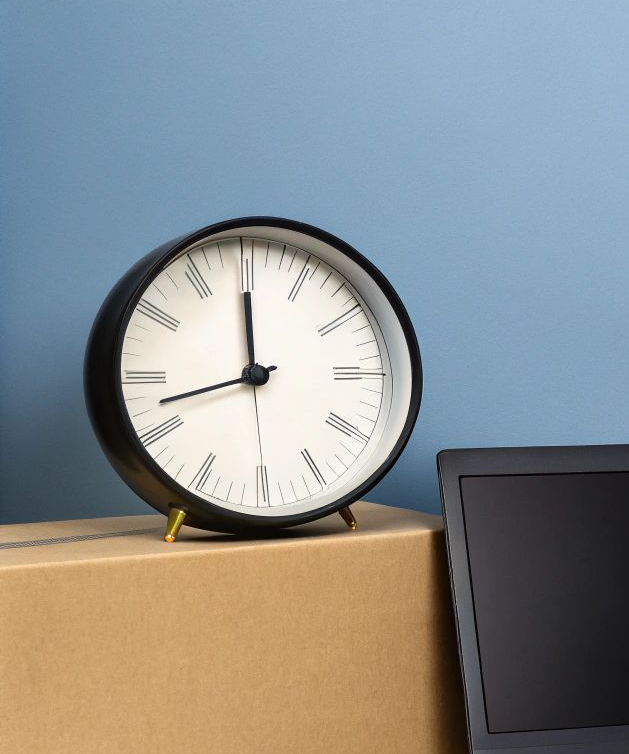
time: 11:42
